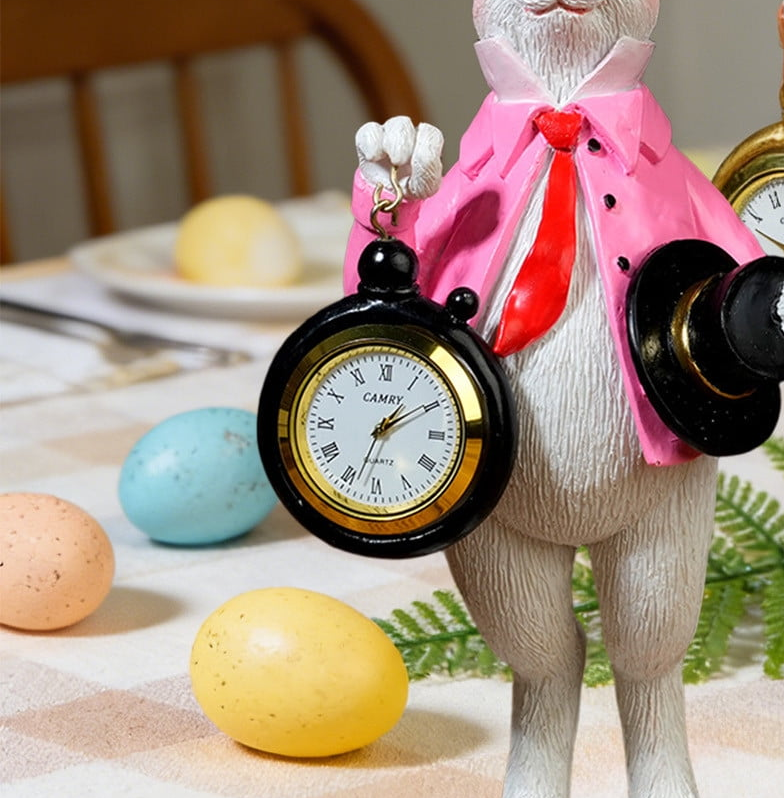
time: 1:09
